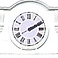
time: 2:11
